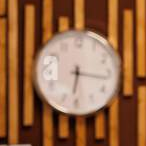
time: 6:16
